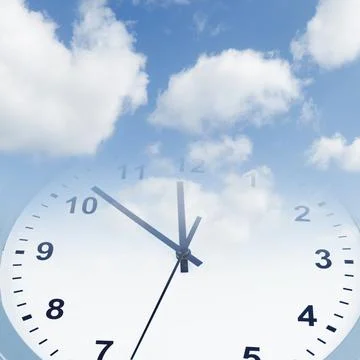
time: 11:51
